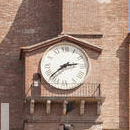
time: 2:38
